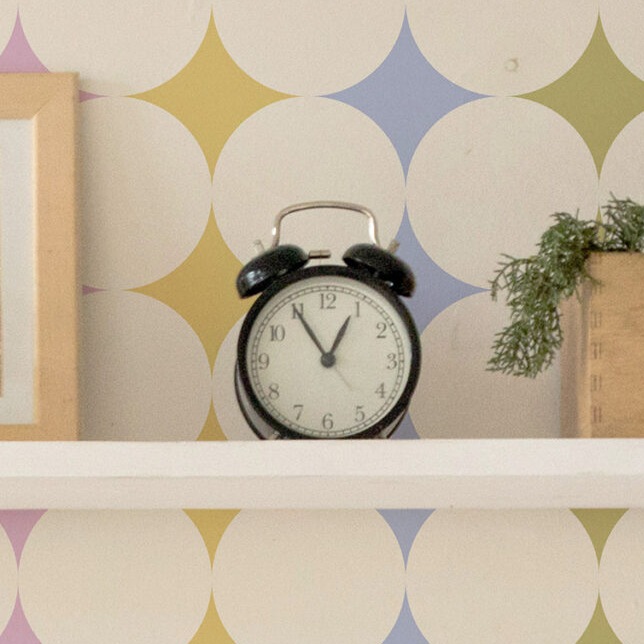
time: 12:54
